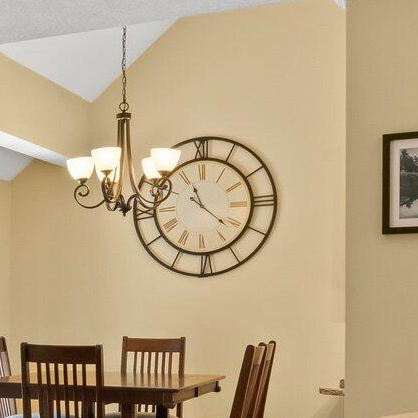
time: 11:21
